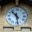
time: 10:28
